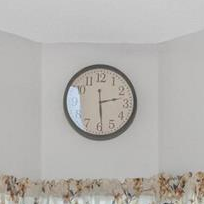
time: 2:29
